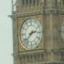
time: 2:38
